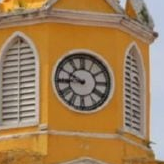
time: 8:49
